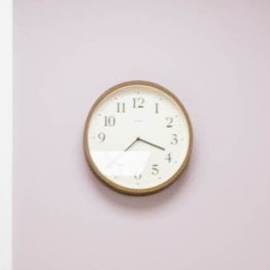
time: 7:18
